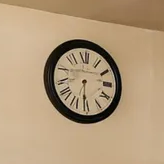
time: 6:30
